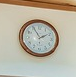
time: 1:55
